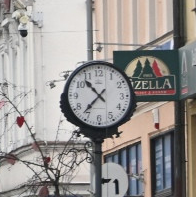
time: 10:36
